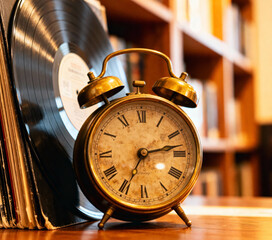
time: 2:34
